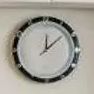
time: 12:07
